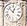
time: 12:52
